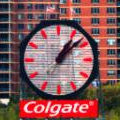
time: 1:08
